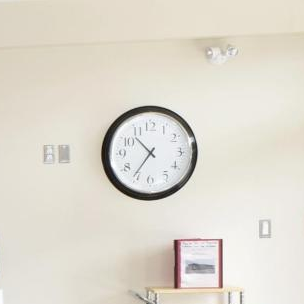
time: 10:36
